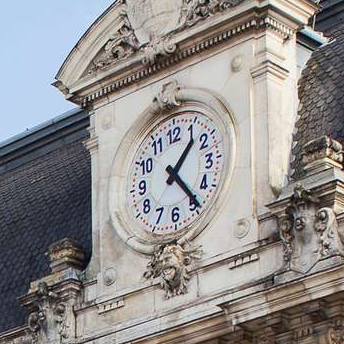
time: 1:23
